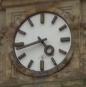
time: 4:42
